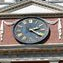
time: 2:21
